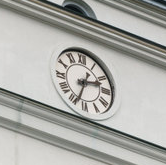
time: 2:33
